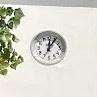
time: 12:05
